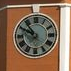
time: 10:49
